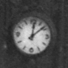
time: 12:08
